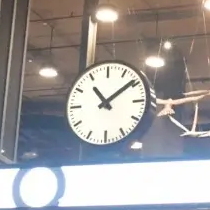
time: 11:09
